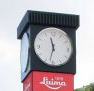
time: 11:32
